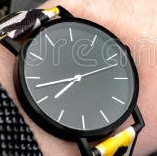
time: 7:43
